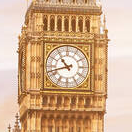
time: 10:42
